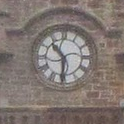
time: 10:30
